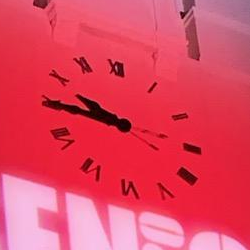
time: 9:45
